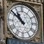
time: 10:51
